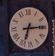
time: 6:14
